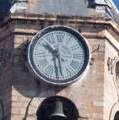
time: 10:28
